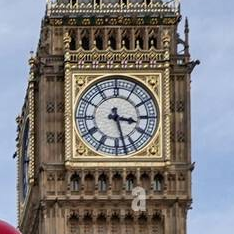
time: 3:27
